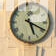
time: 5:19
